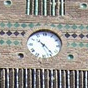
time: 10:23
